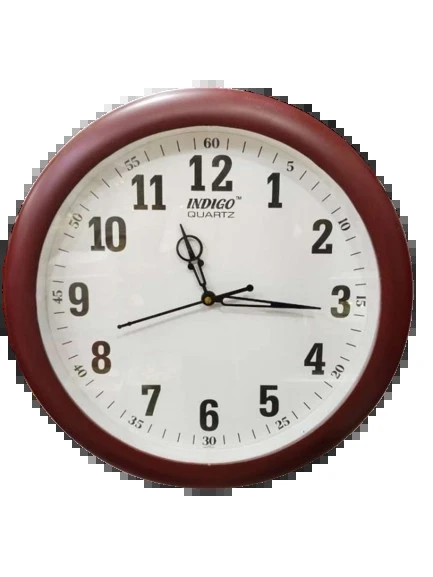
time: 11:15
